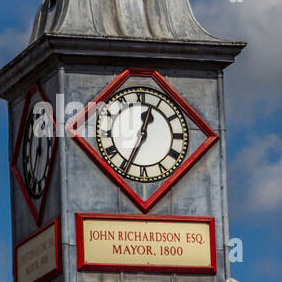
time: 12:34
